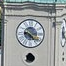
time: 9:22
